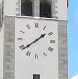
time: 1:39
